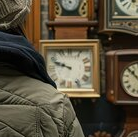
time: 9:48
